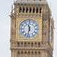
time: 11:32
